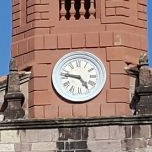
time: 4:46
